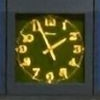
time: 1:56
